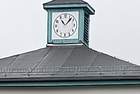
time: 11:07
